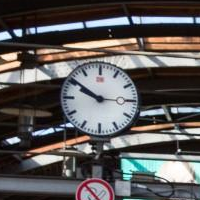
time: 9:50
